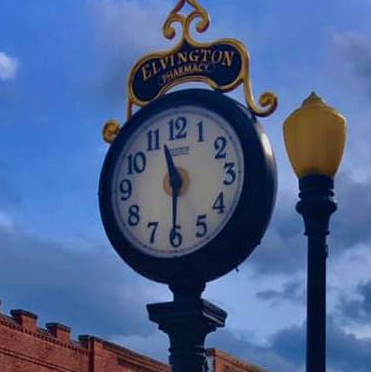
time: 11:30
